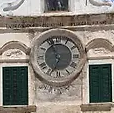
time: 6:56
